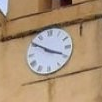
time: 3:50
